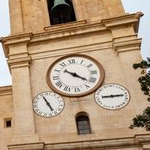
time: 10:21
